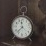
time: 11:37
